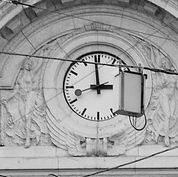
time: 2:59
